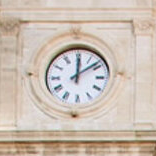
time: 12:08
